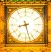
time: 8:27
